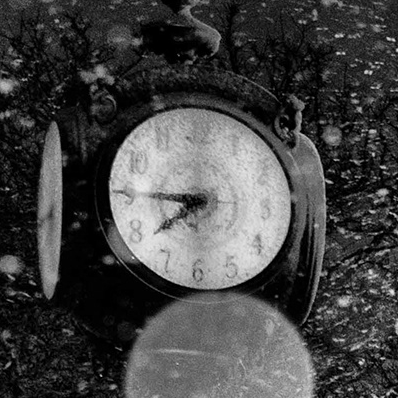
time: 7:45
